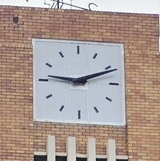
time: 9:11
